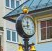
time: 11:42
